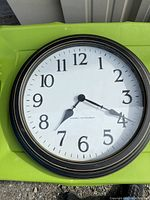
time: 7:19
